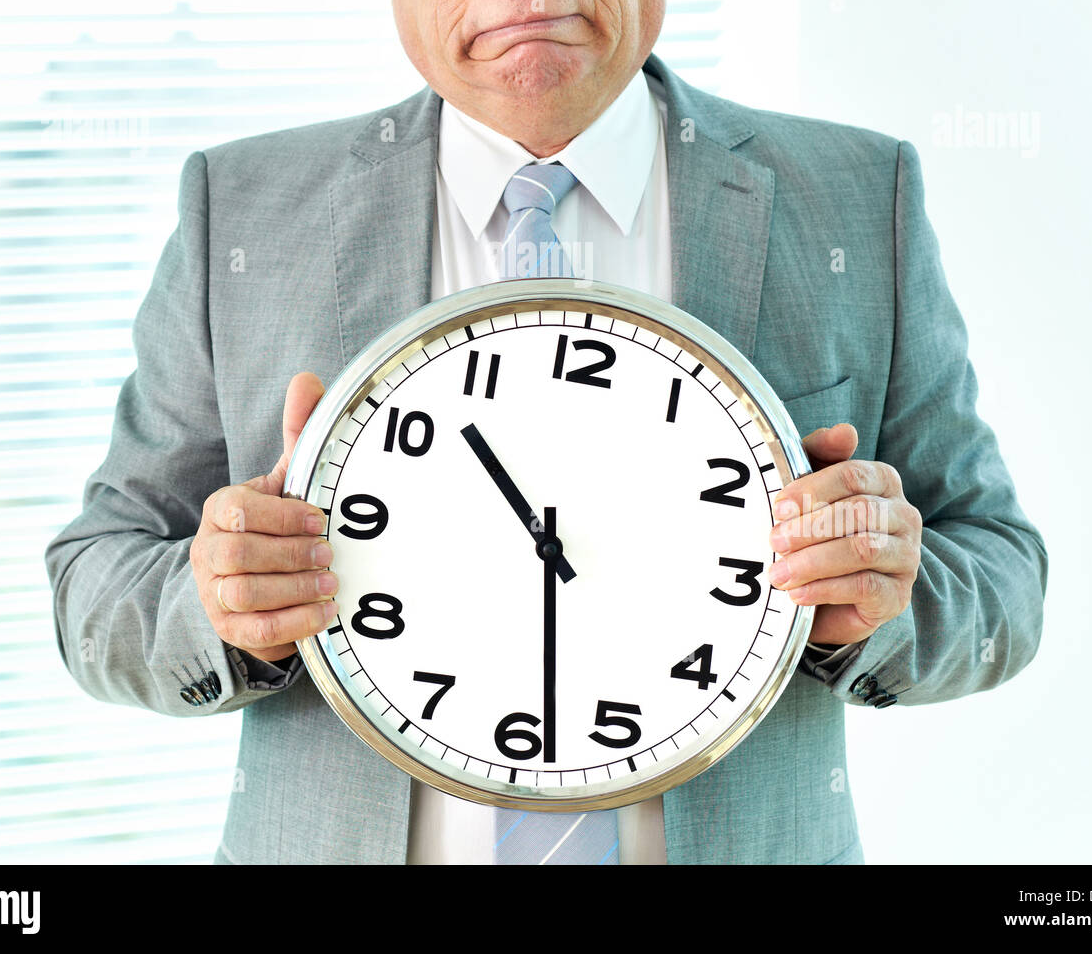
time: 10:28
